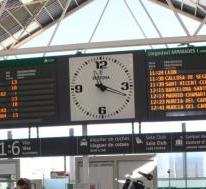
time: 11:18
